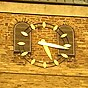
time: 5:16
